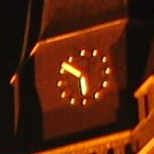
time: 5:51
